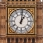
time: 1:01
